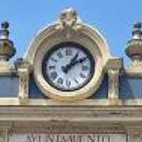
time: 1:09
